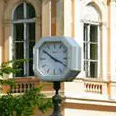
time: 3:51
